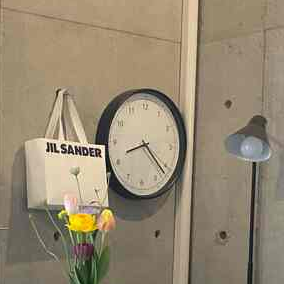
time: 8:21
